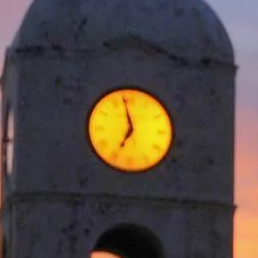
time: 6:58
